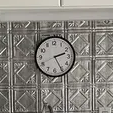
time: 2:25
